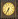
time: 6:35
